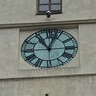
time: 11:02
